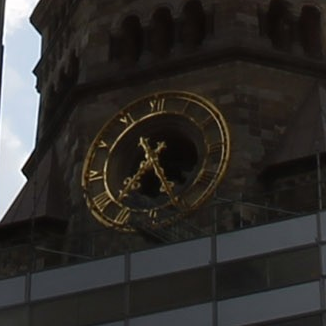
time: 7:25
